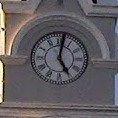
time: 5:01
